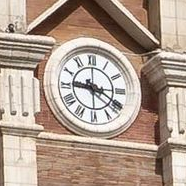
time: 9:20
